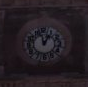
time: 12:05
